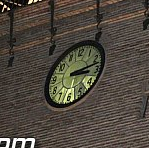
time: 3:12
